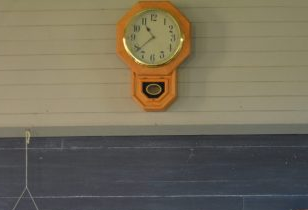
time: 10:37
